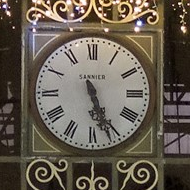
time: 5:26
